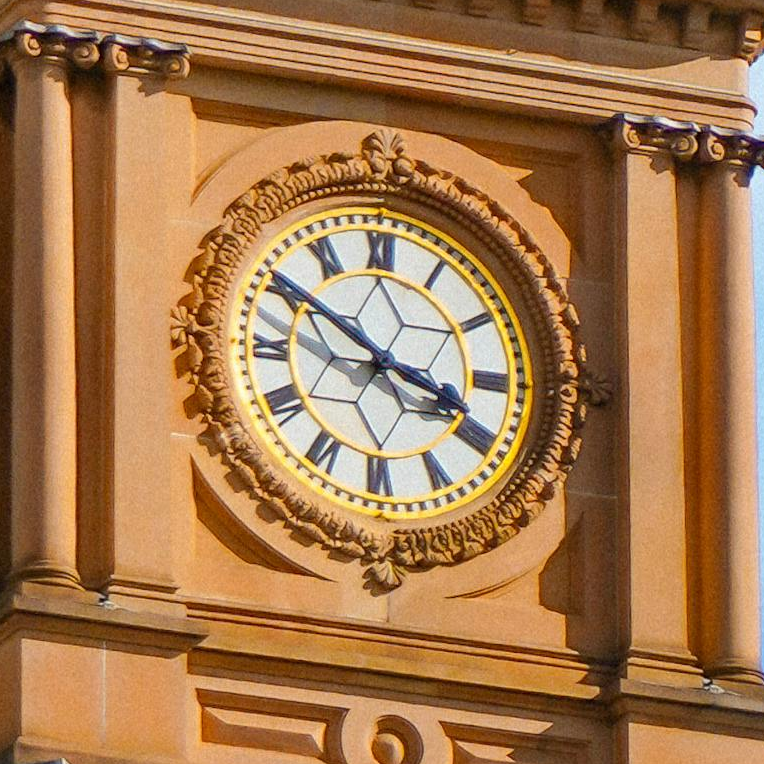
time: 3:50
